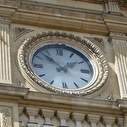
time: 1:52
